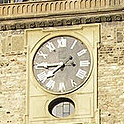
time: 7:44
